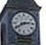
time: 2:40
